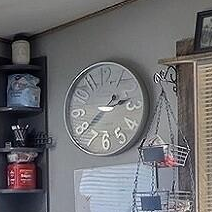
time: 2:39
